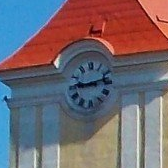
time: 9:12
